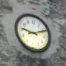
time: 9:11
